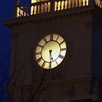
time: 5:29
